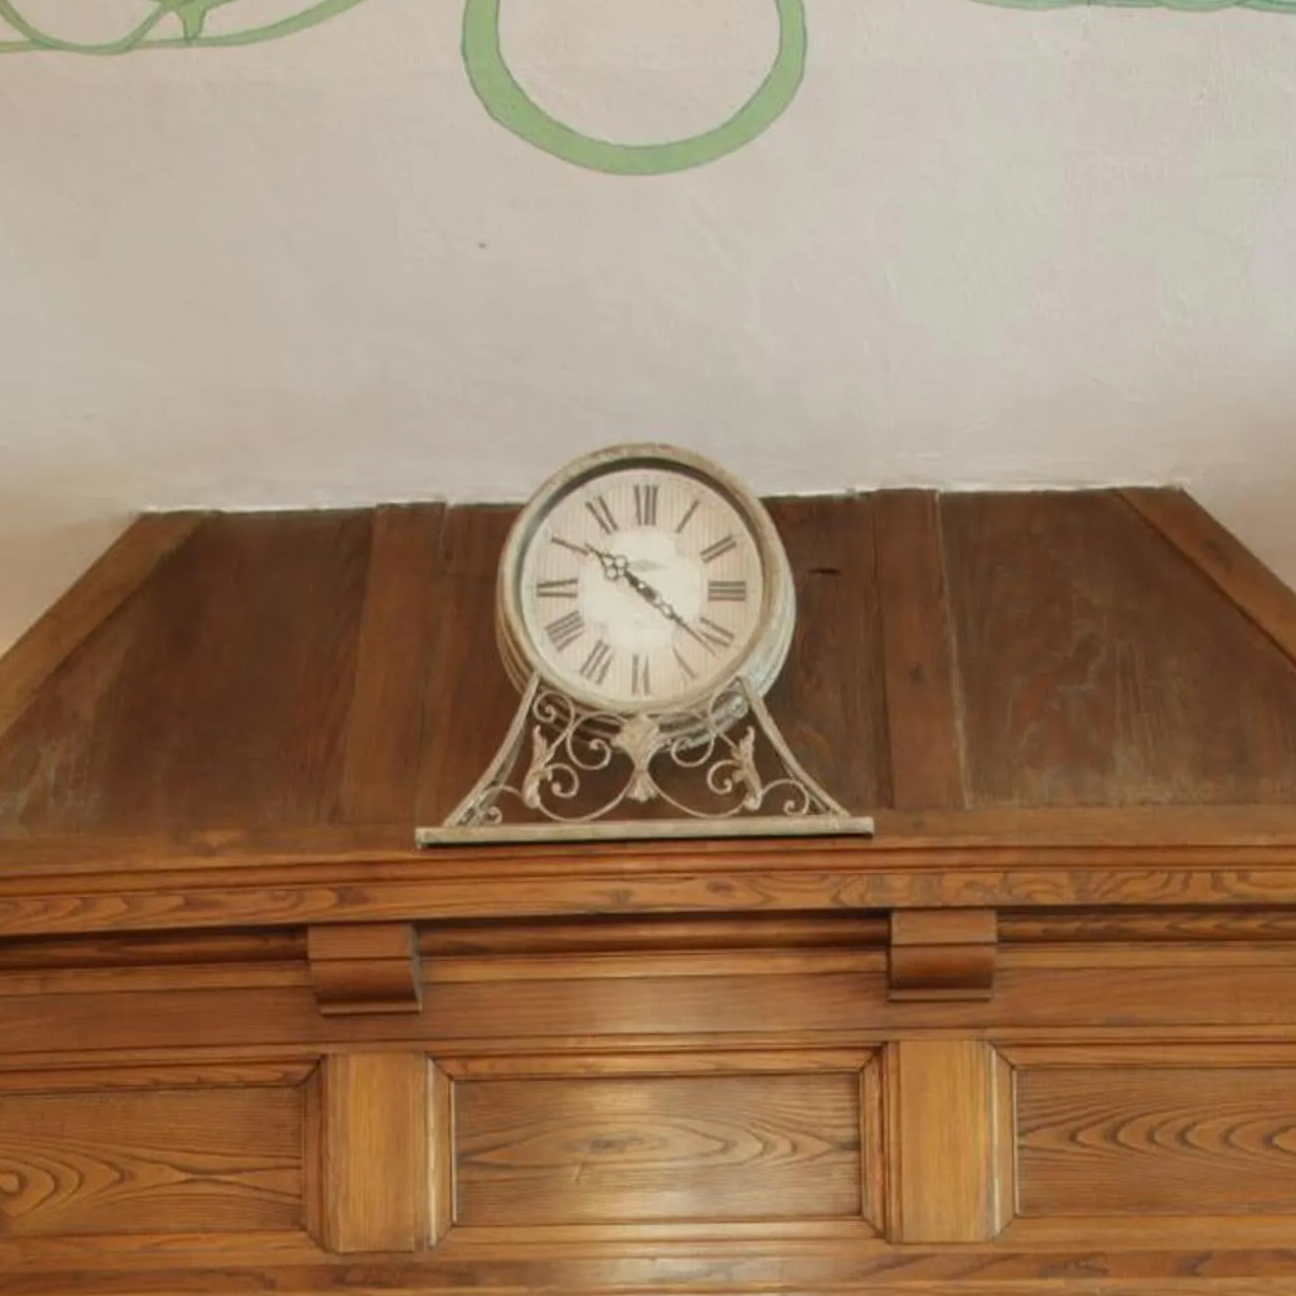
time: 10:20
